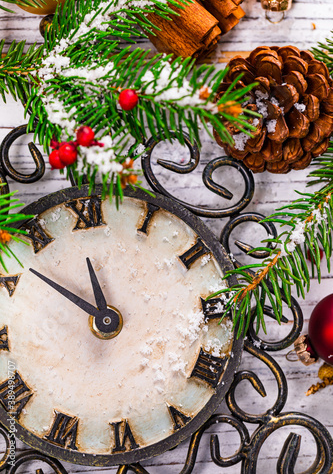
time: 11:52
